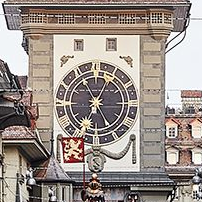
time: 11:04
